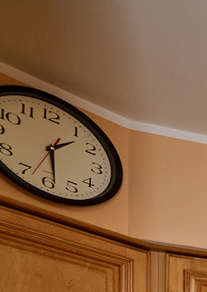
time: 1:28
